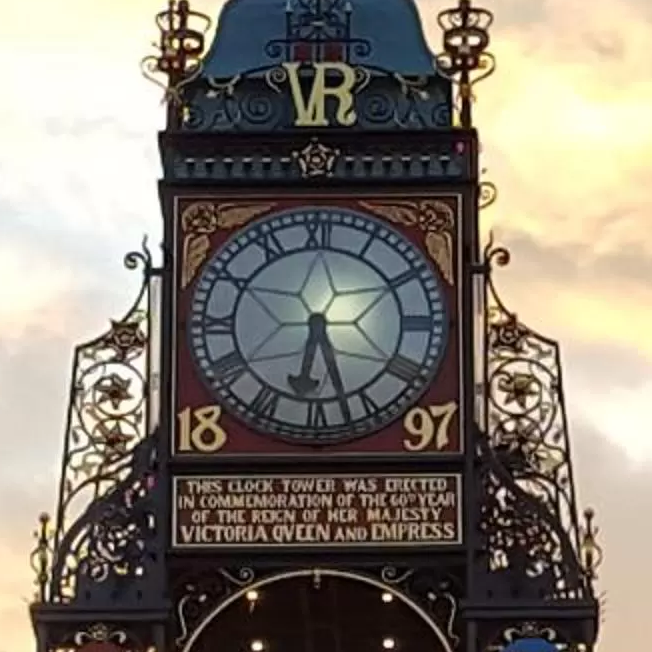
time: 6:27
